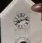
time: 8:12
